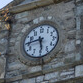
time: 5:44
